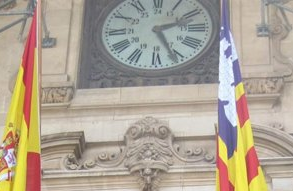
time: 2:26
